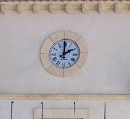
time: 2:00
